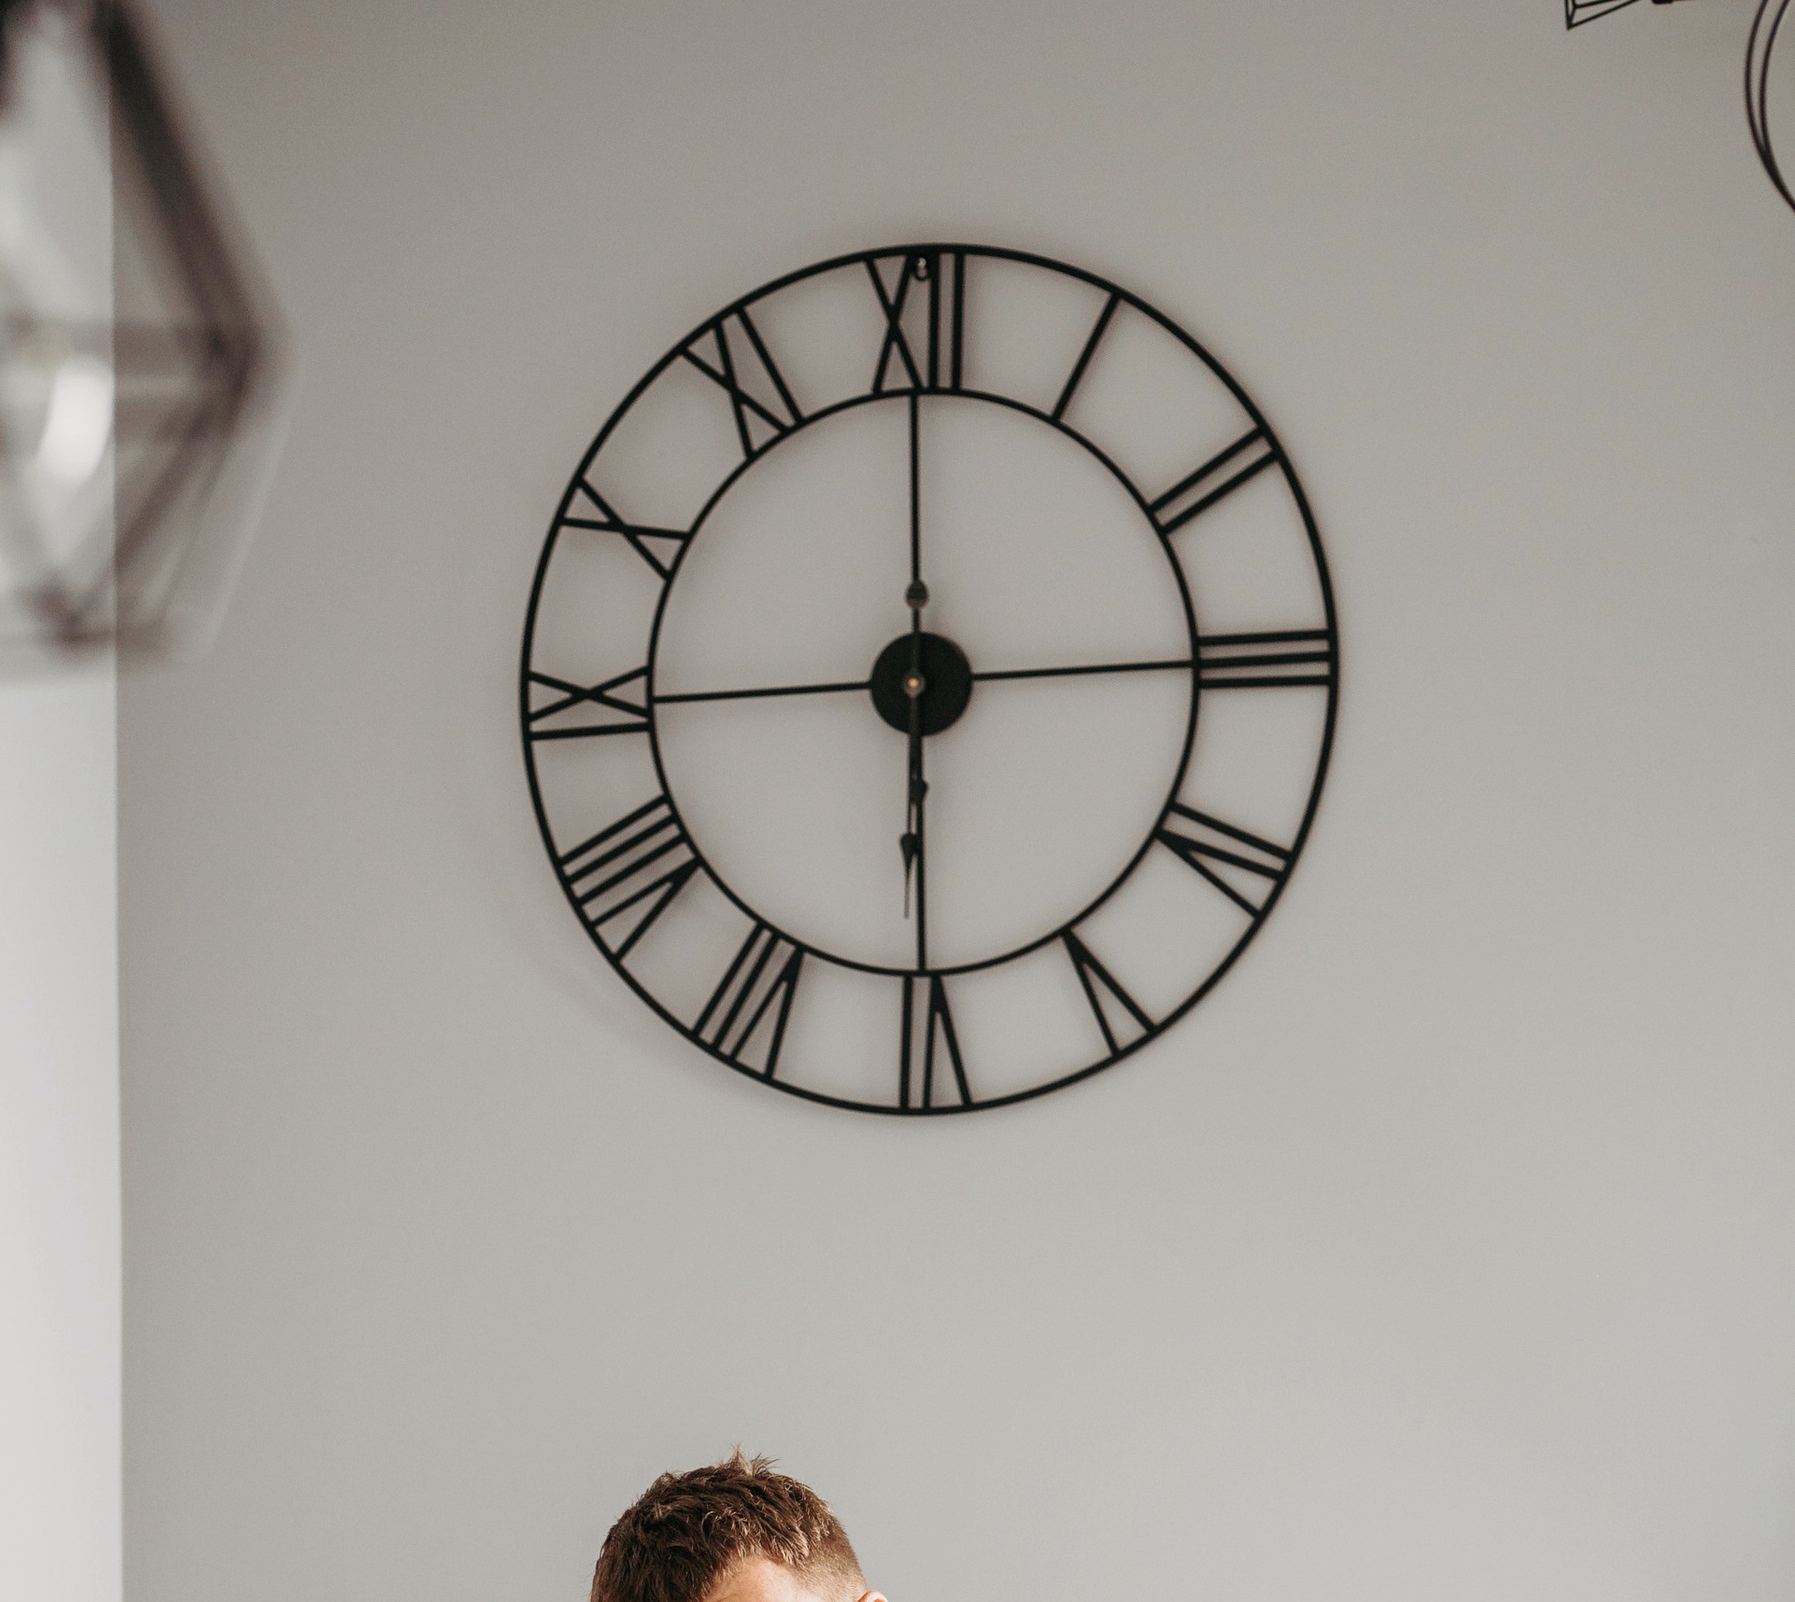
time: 5:59
